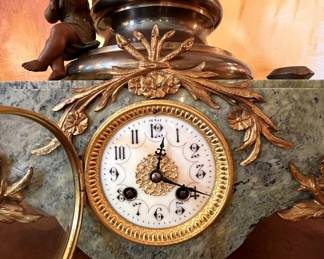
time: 12:19
